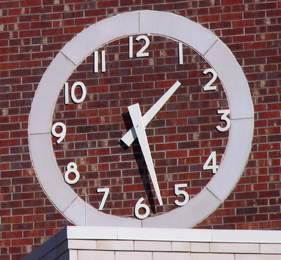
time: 1:28
